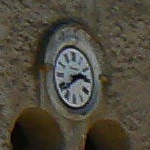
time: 2:38
